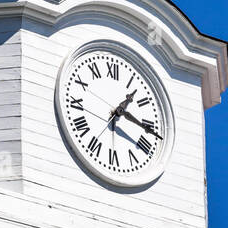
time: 1:16
